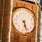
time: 5:26
